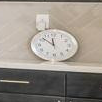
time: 11:52
